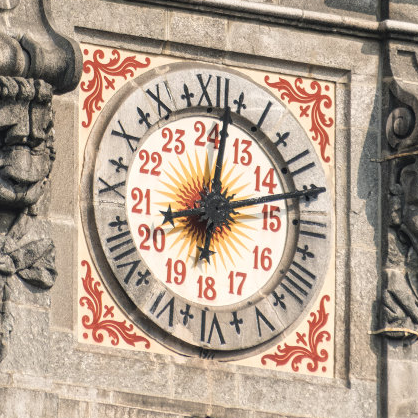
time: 8:12
